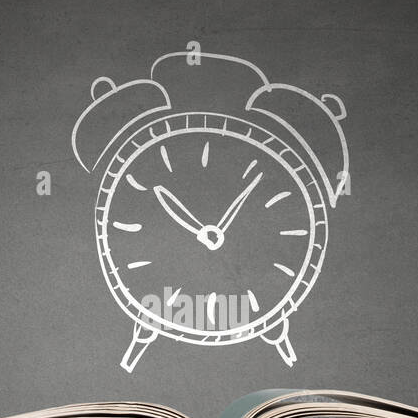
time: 10:06
